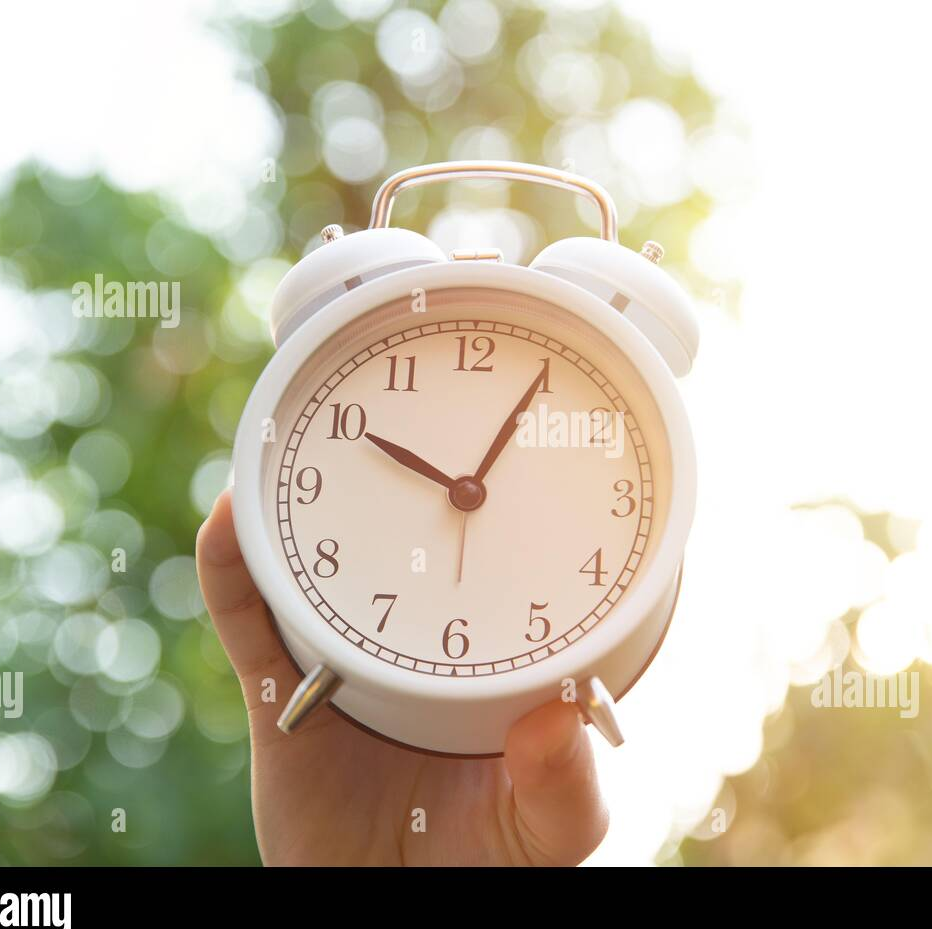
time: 10:04
